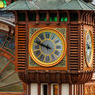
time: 9:48
